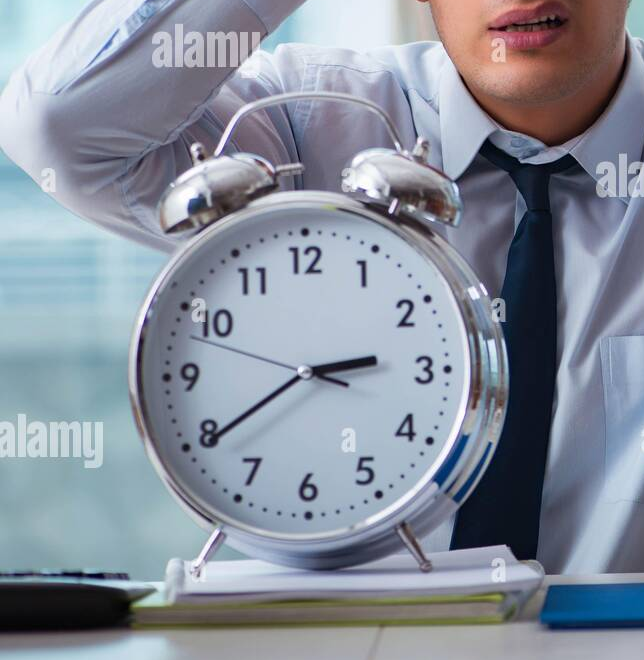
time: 2:39
